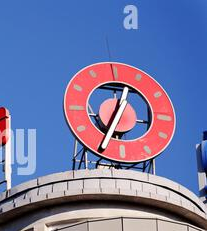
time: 12:34
